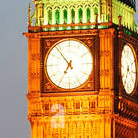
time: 6:53
